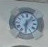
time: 6:06
